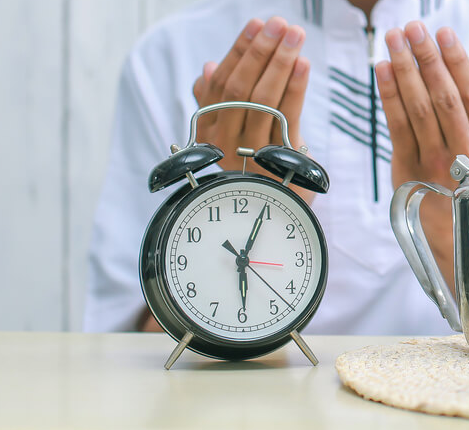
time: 6:04
